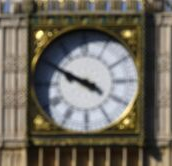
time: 9:50
